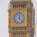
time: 12:22
